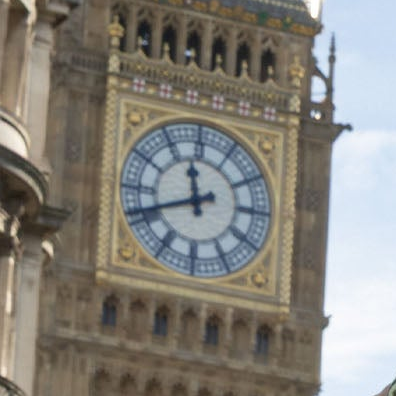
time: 11:41
